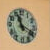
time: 11:19
